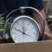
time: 11:48
